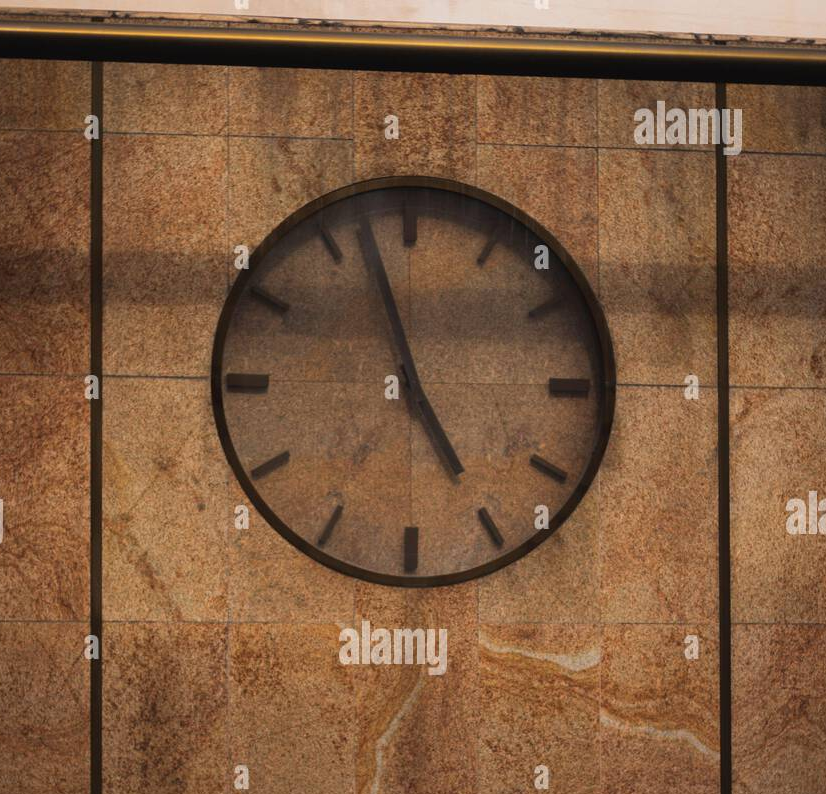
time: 4:57
